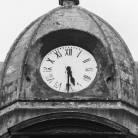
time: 5:30
